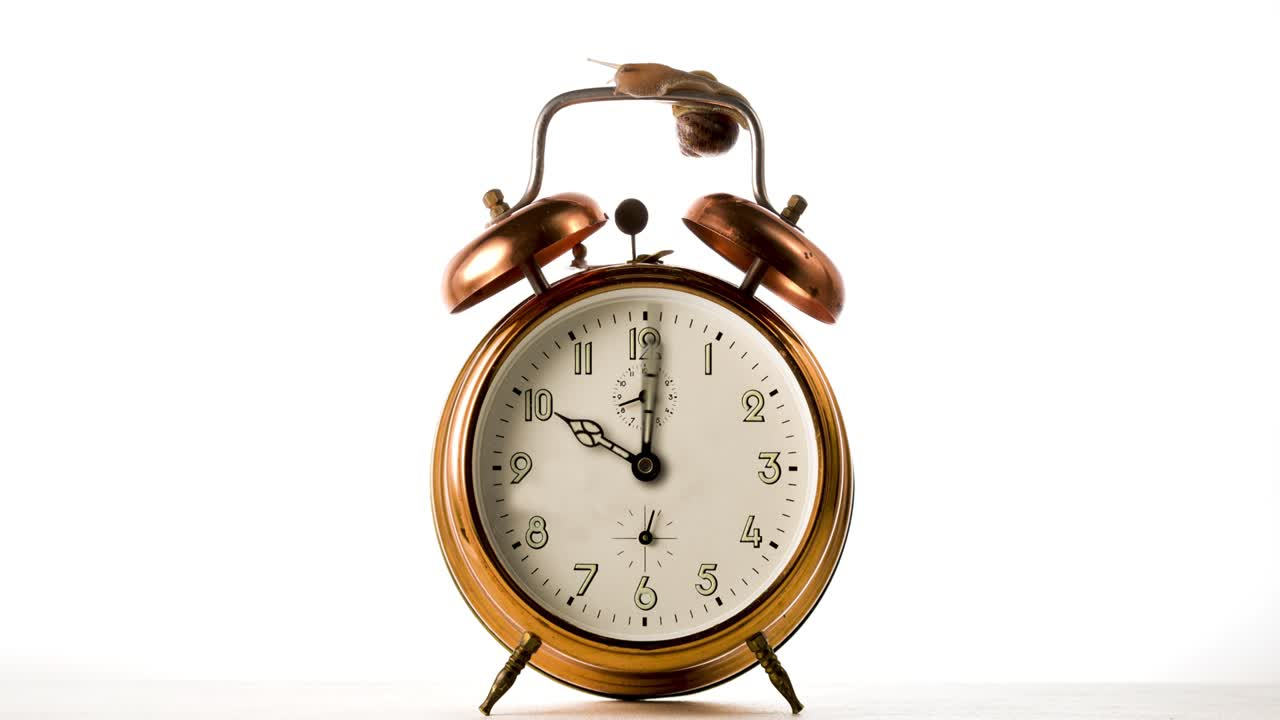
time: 10:00
